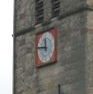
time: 11:46
